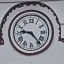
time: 9:23
